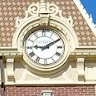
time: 9:10
